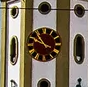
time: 10:49
